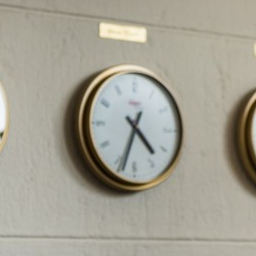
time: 4:33
